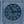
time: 11:13
